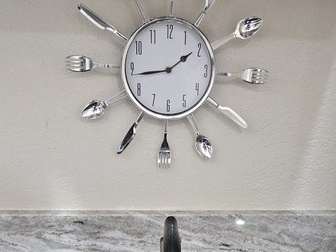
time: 1:43
